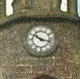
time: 10:17
